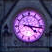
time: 4:16
